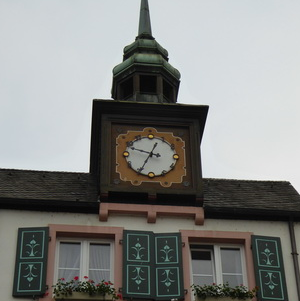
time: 12:34
